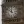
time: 11:51
